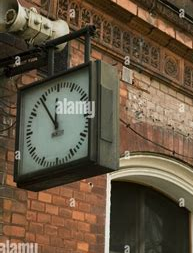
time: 11:54
